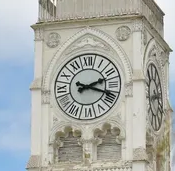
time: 2:18
